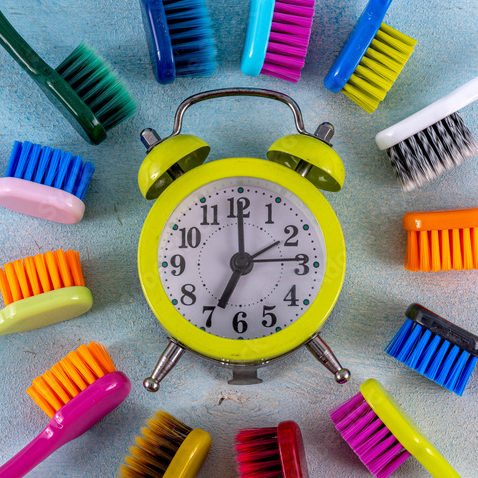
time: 7:00
